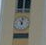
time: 11:02
